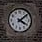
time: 4:08
